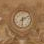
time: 6:11
